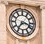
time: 7:17
